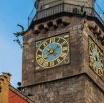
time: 8:09
